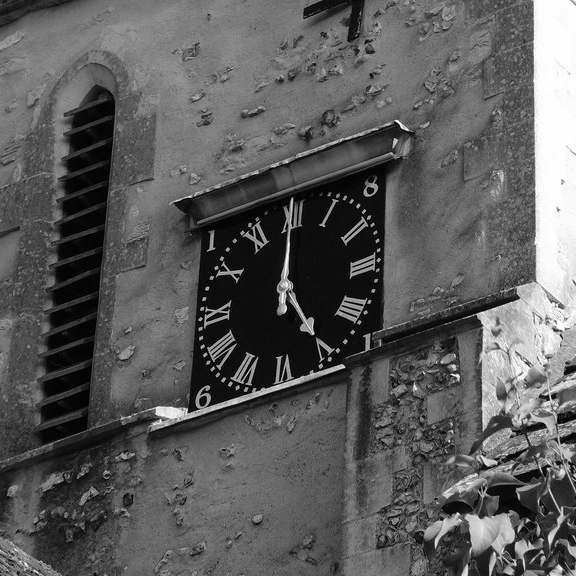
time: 5:00
